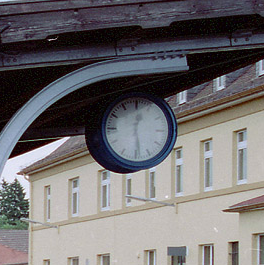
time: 12:28
